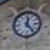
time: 12:23
